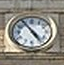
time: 4:54
